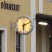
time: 6:10
